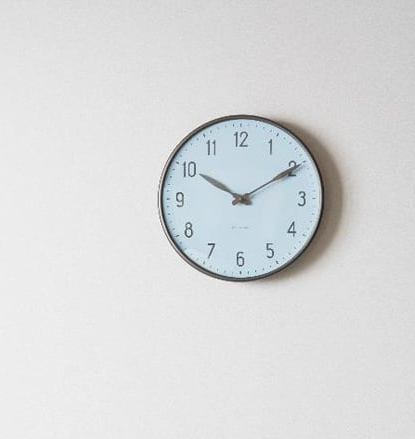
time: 10:10
